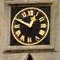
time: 12:49
